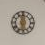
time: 5:59
